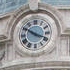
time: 3:50
